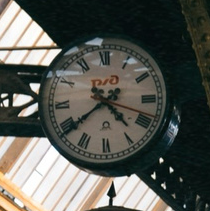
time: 4:39
